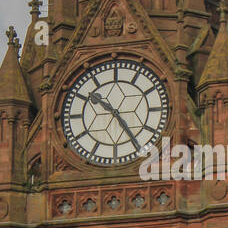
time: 10:24
